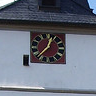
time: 12:37
